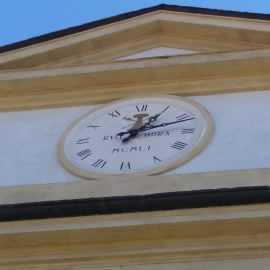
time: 1:11
